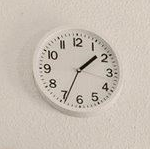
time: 1:34
